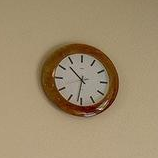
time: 10:31
